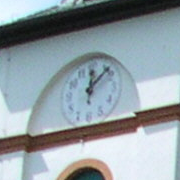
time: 12:07
